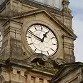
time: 12:48
